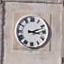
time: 3:11
